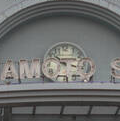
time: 10:14
